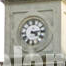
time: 4:13
